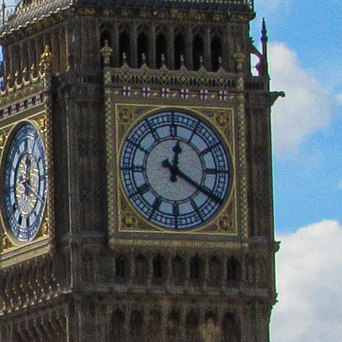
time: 12:20
